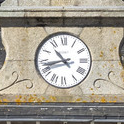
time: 10:42
